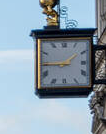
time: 1:45
